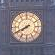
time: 7:40
